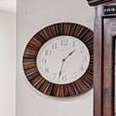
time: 1:32
